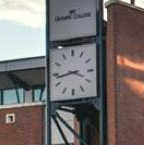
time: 3:43
